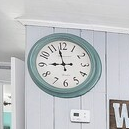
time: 8:57
